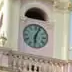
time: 6:03
